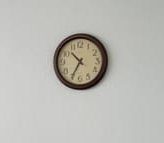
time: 10:34
